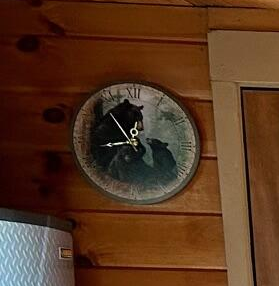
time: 8:53
